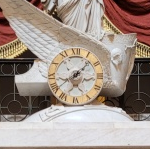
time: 8:07
